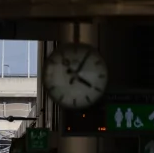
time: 4:04
